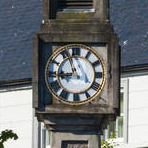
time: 8:56
